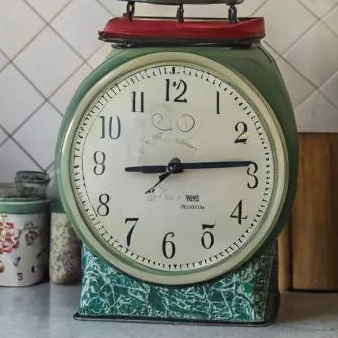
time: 9:13
